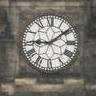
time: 9:08
